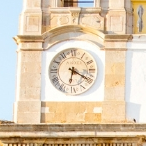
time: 6:20
